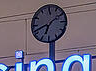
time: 6:41
